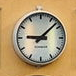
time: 9:07
